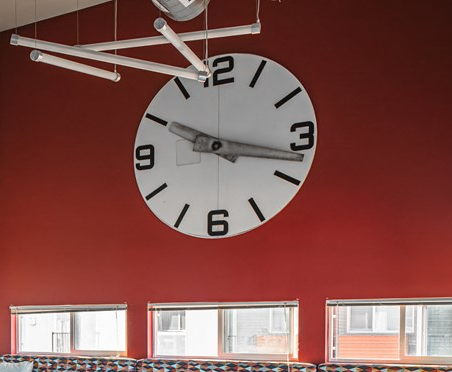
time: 10:17
